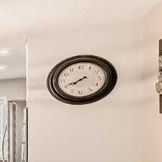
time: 7:40
